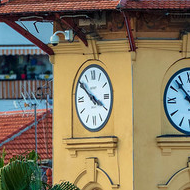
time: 3:50
